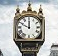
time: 11:49
